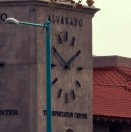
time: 1:50
